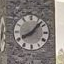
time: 8:07
